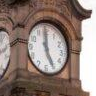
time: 4:59
